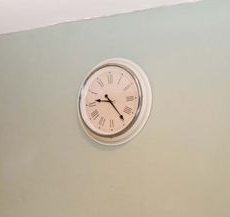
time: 9:23
